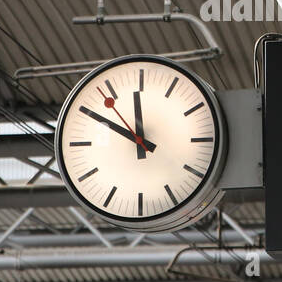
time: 11:50
